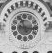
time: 11:16
